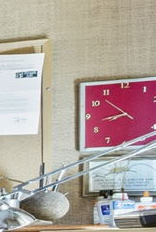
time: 8:52
